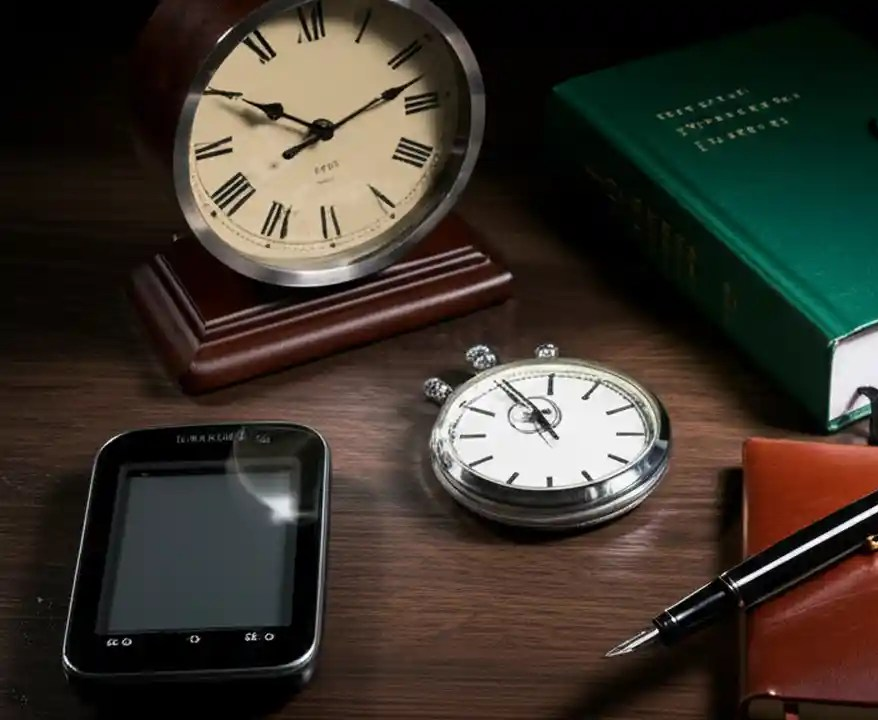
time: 10:12
